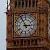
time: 2:56
